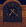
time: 7:22
